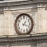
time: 1:18
